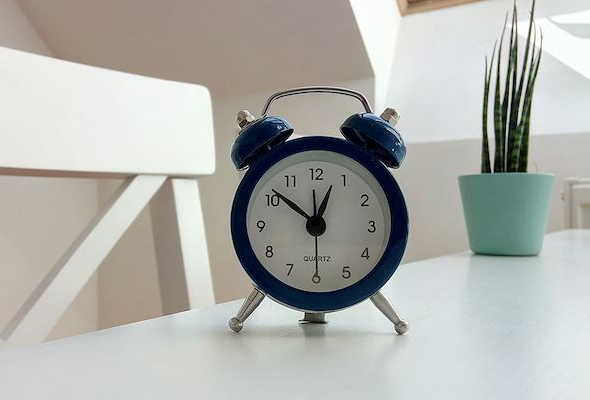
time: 12:51
